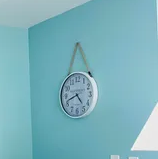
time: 4:42
